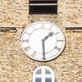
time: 1:29
